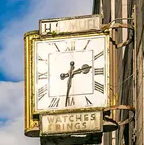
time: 2:31
